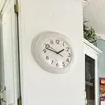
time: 1:47
